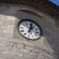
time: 1:01
